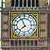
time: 7:56
